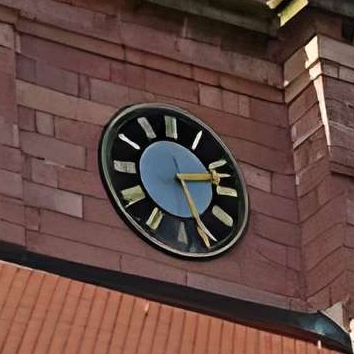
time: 2:26
